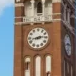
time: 2:42
